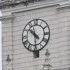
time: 10:29
